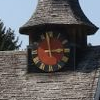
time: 2:58
